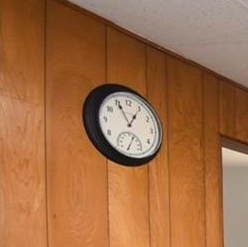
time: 12:55
